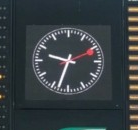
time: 9:33
